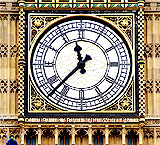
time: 11:37
